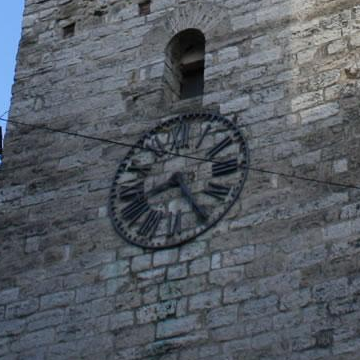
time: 8:24
